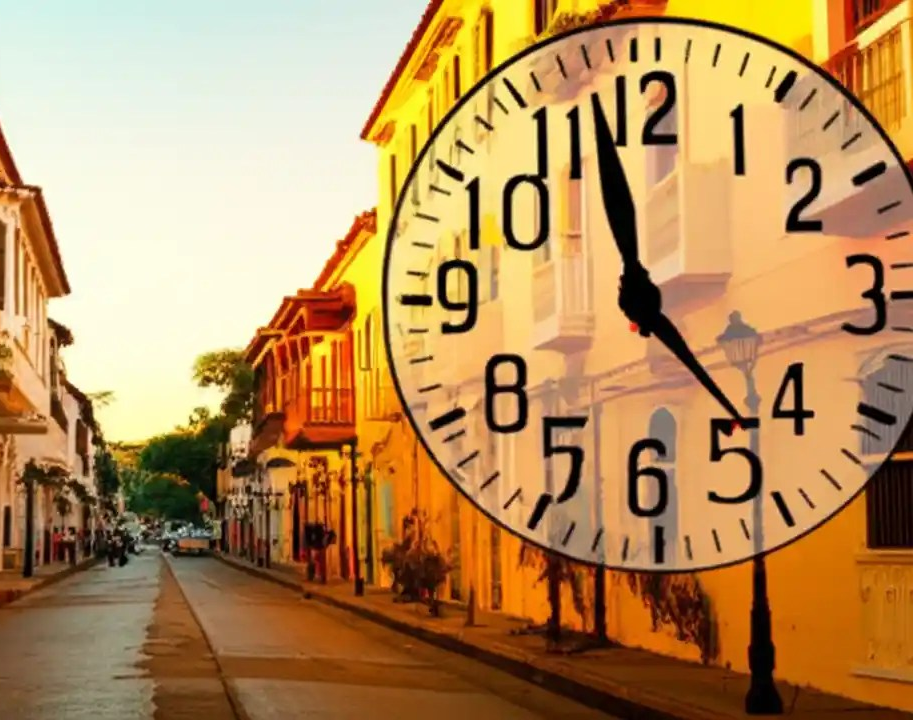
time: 11:23
